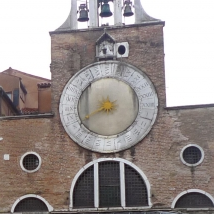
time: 8:40
